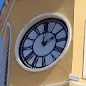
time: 2:00
